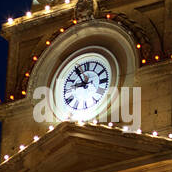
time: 8:54
